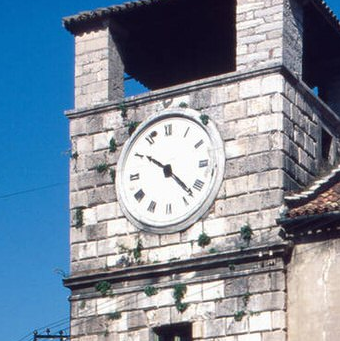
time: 10:22
